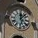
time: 12:07
